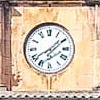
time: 1:39
